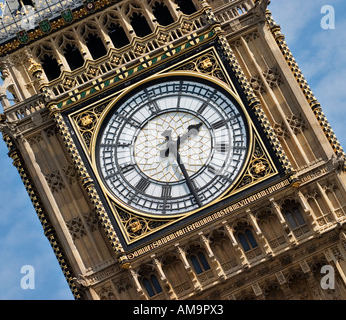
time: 1:25
